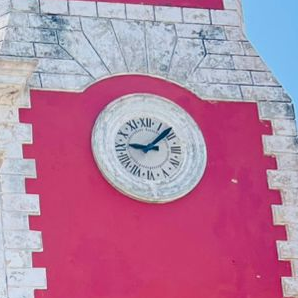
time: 9:08
